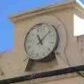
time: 11:07
